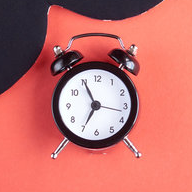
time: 6:55
